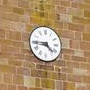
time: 4:44
